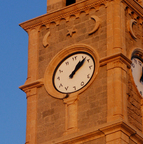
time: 1:07
